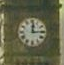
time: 12:14
